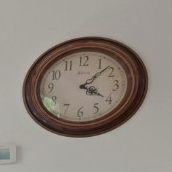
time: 4:07
